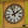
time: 1:56
